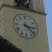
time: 3:22
